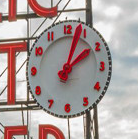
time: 2:03
